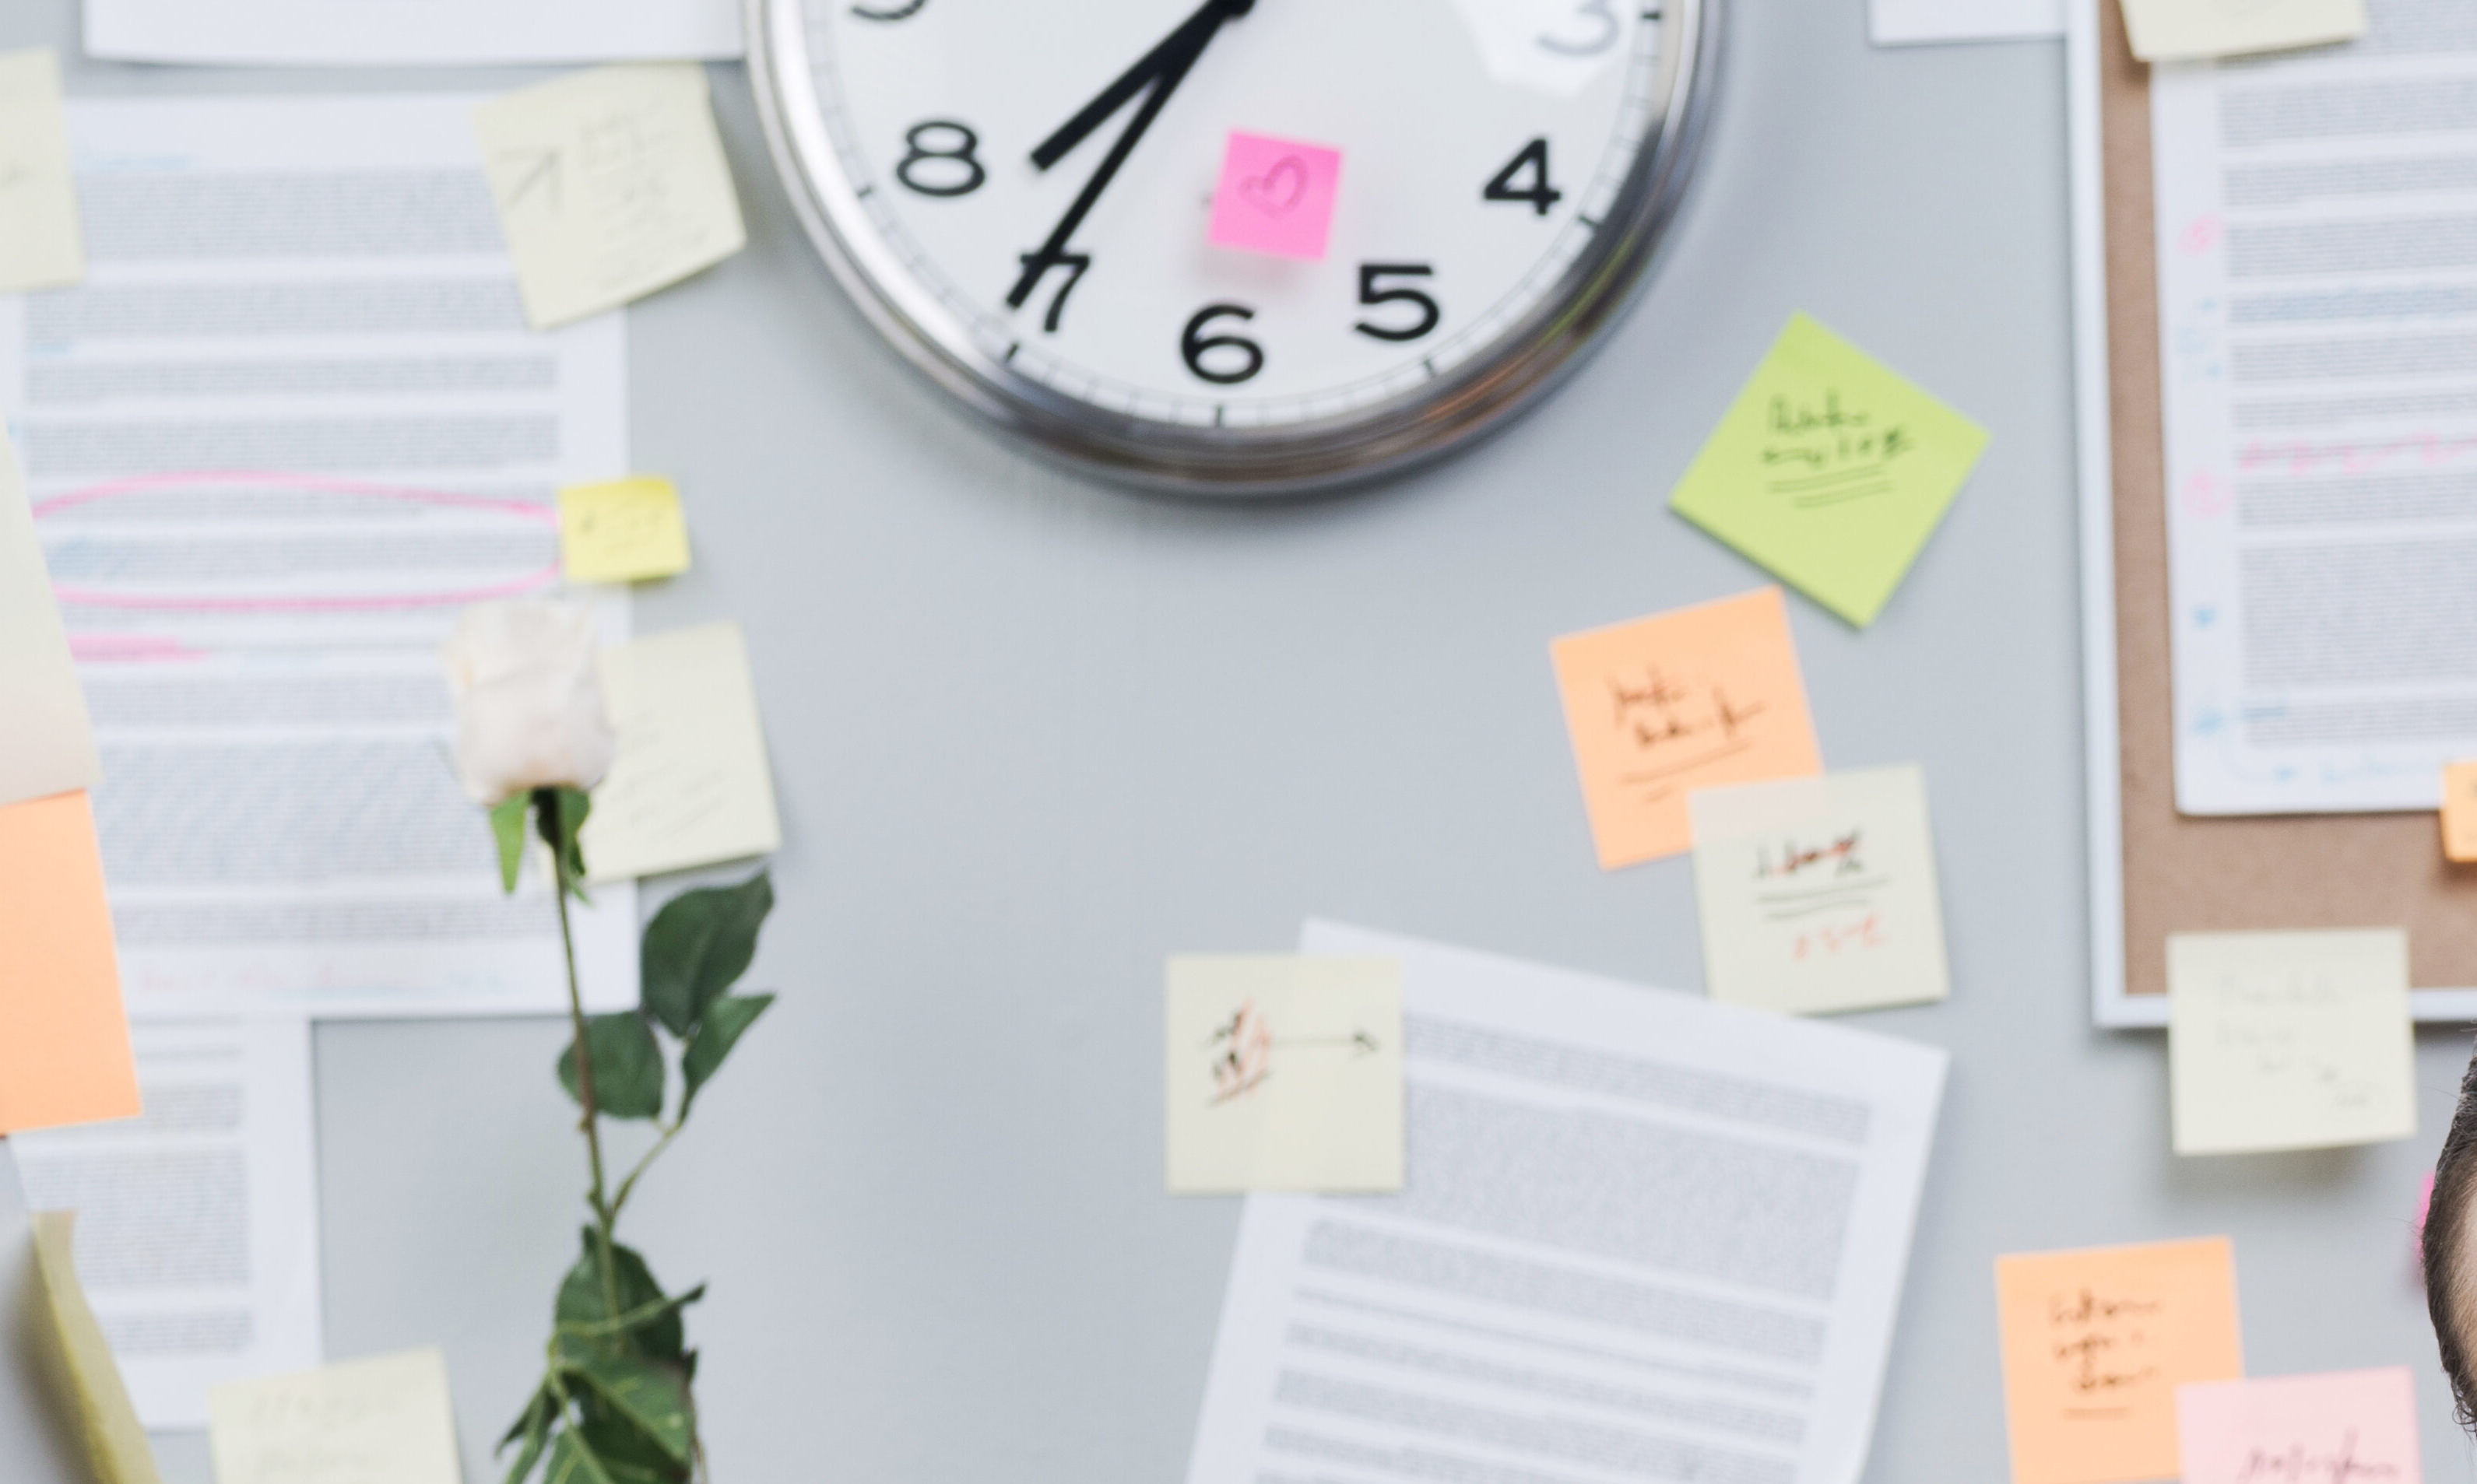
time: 7:35
